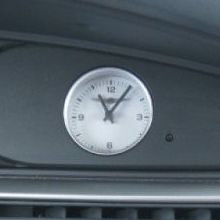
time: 11:05
